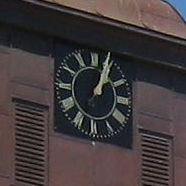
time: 1:03
